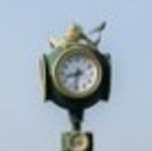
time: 8:32
